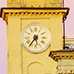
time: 5:36
